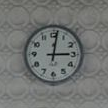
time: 3:01
